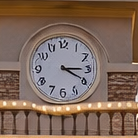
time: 3:19
